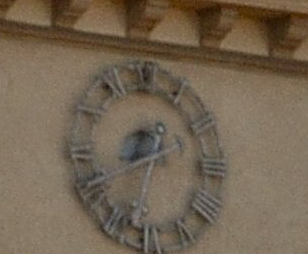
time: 7:32
